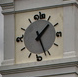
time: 1:26
